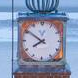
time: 7:50
